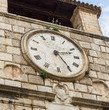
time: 2:24
